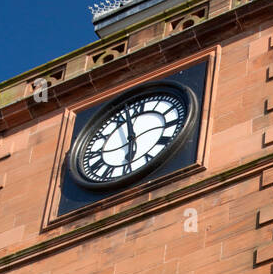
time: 5:57
